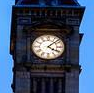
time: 4:07
